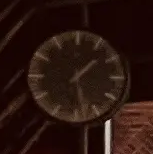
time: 1:28
